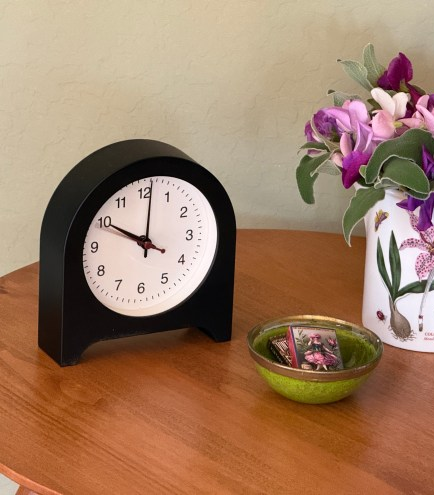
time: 10:00
